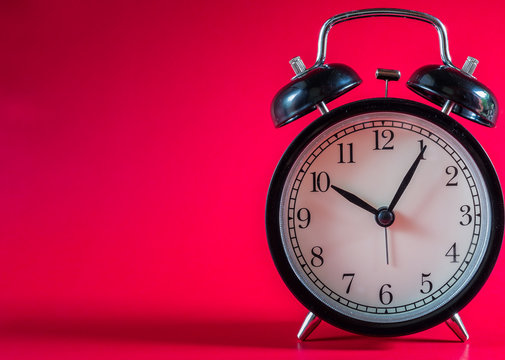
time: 10:05
